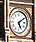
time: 5:09
